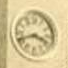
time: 3:41
